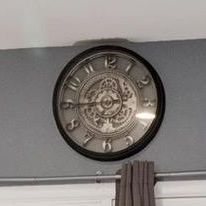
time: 6:44
